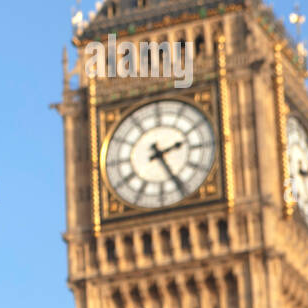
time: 2:25
